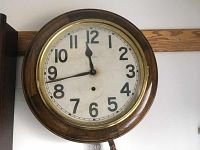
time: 11:43
